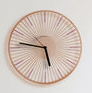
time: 5:46
